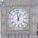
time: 12:58
